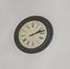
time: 2:12
